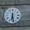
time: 6:28
